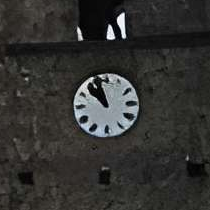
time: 10:57
